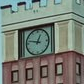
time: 12:47
